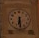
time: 6:29
